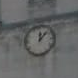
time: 12:07
